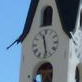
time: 11:28
